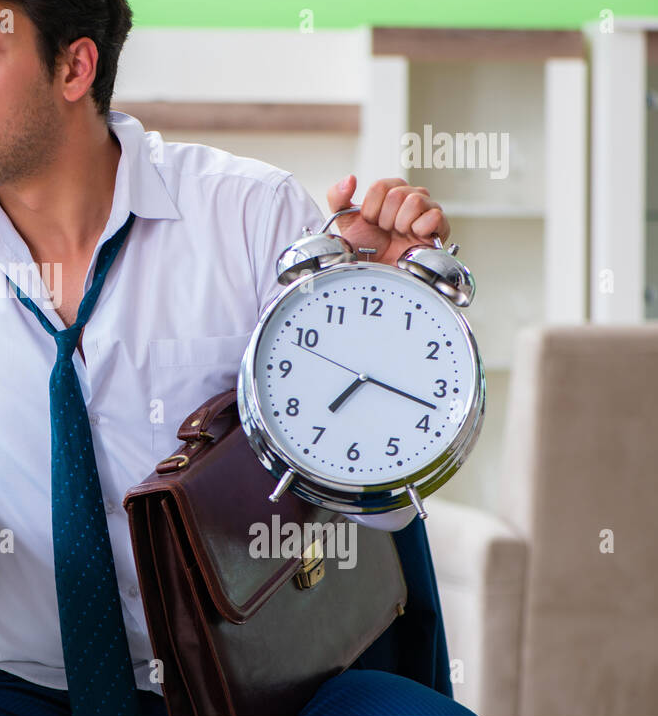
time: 7:17
